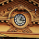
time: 1:16
